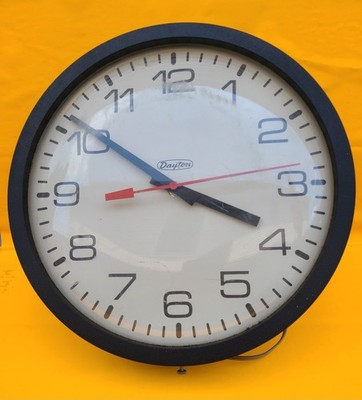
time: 3:50
